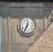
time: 12:34
